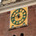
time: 11:46
